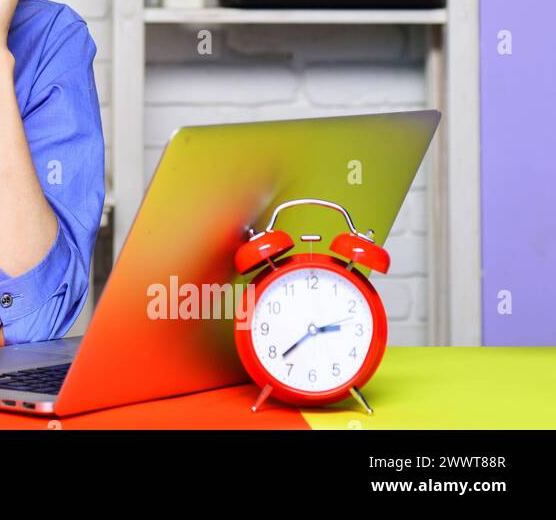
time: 2:38
